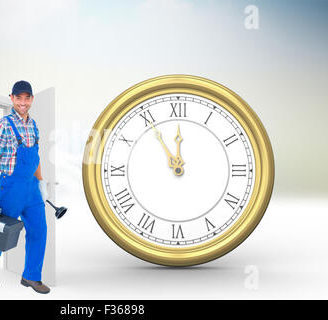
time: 11:54
